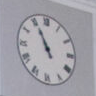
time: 10:55
